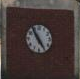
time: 4:54
